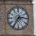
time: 2:35
